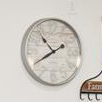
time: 10:40
